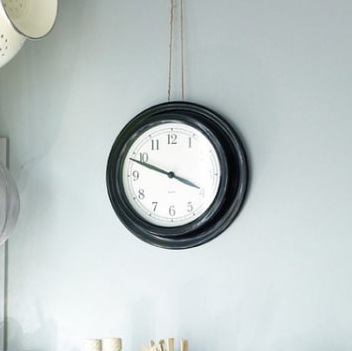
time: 3:48
